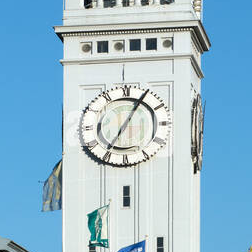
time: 7:04
